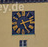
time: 2:25
